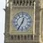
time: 12:34
